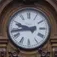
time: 9:43
